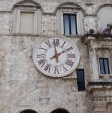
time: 1:59
